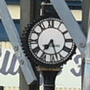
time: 7:27
